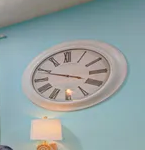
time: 3:48
